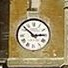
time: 2:51
